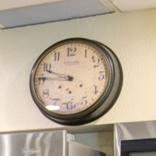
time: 9:45
